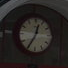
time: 12:34
